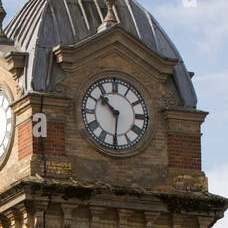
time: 10:30
